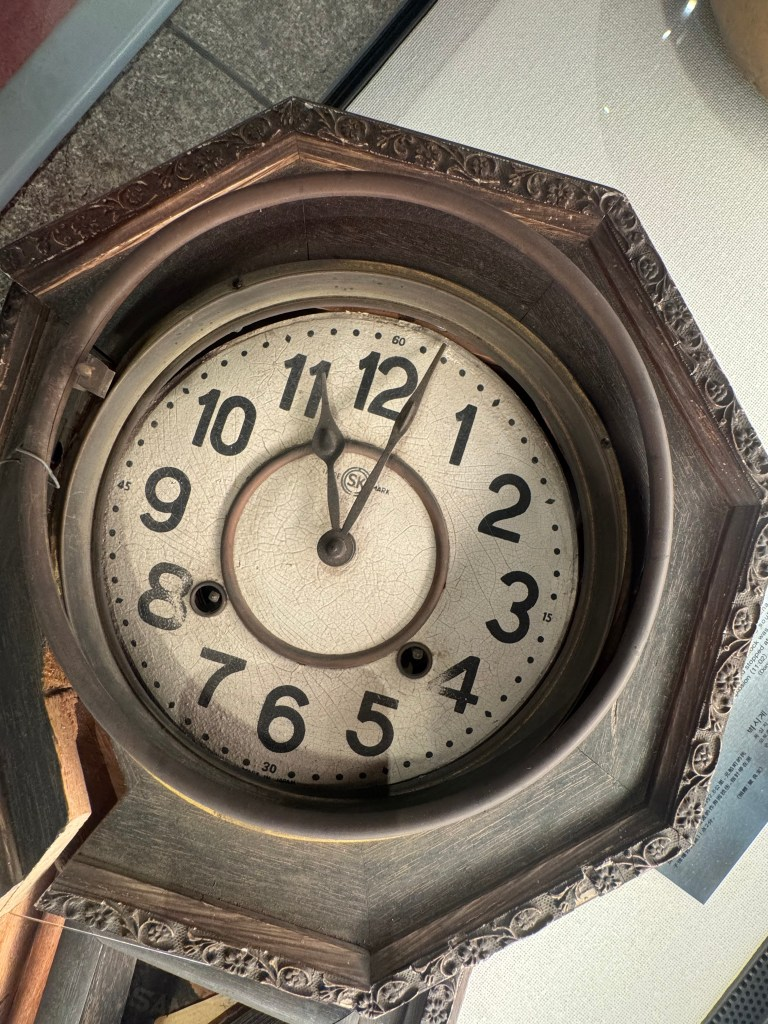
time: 11:02
